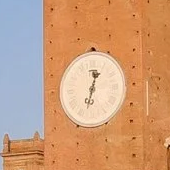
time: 12:32
